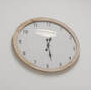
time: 12:27
